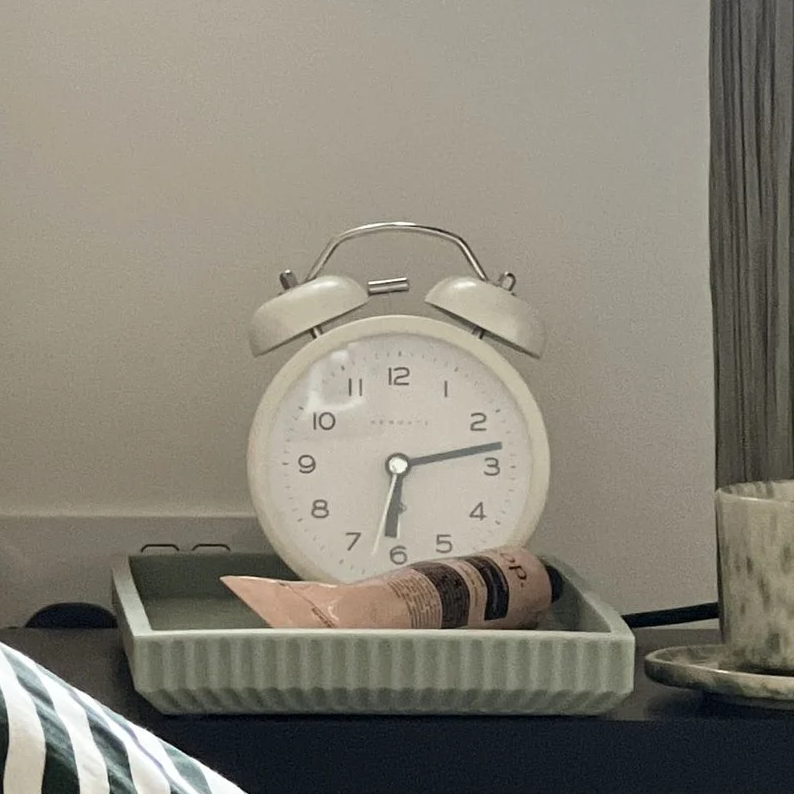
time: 6:13
